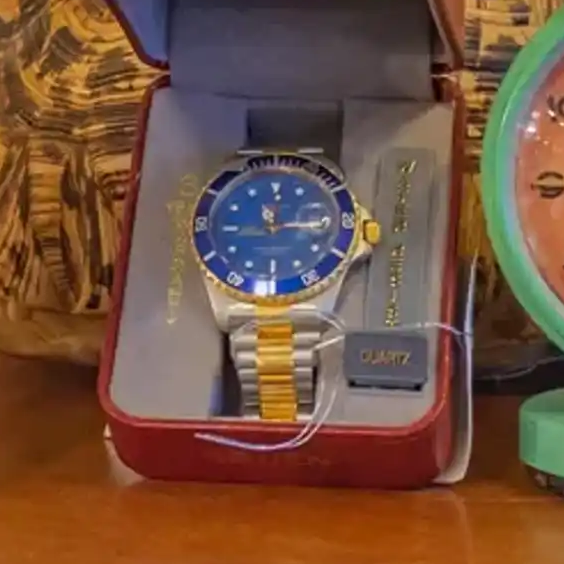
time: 11:14
